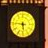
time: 5:46
